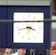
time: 3:42
